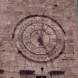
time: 5:01
